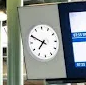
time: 7:49
